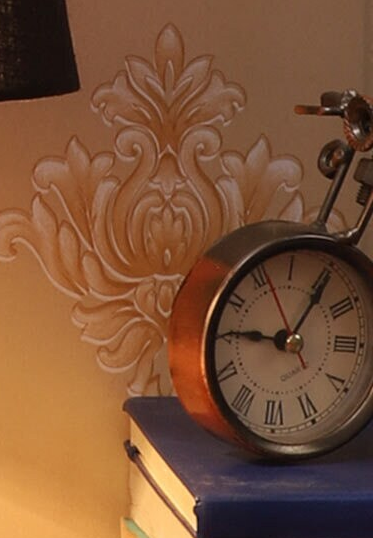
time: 9:05
